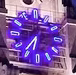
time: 6:36
